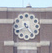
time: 4:40
